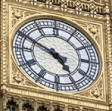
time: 4:49
